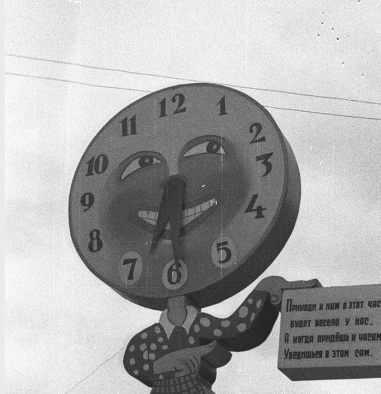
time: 6:29
